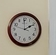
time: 1:59
